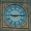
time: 9:13
